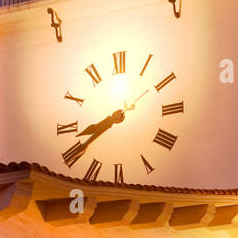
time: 8:40
